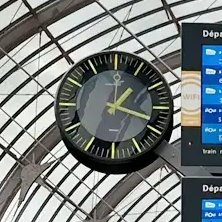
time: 1:18
